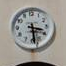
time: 3:28
